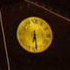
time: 6:28
